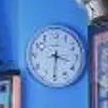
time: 3:30
